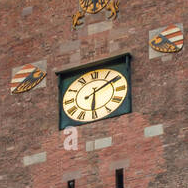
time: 6:09
